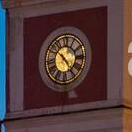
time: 10:23
